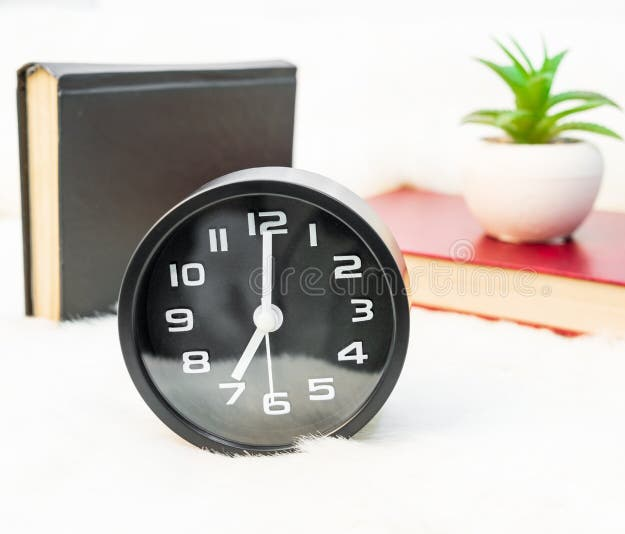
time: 7:00
